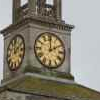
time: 2:00
